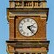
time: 2:23
